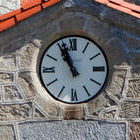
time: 10:56
